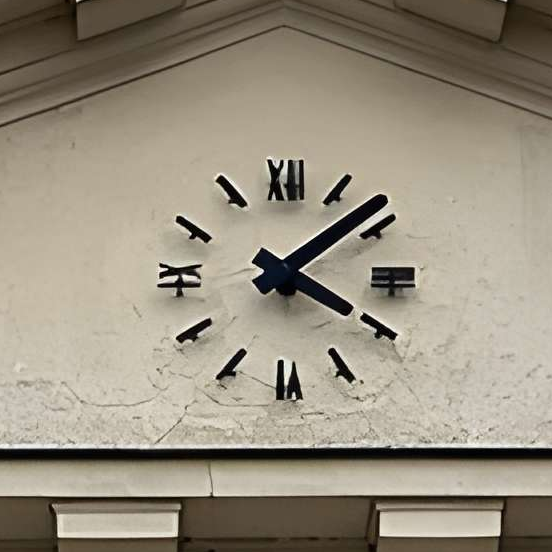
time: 4:08
